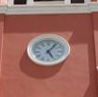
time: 5:05
